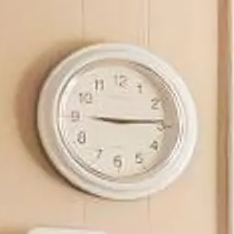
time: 9:14
